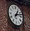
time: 1:12
